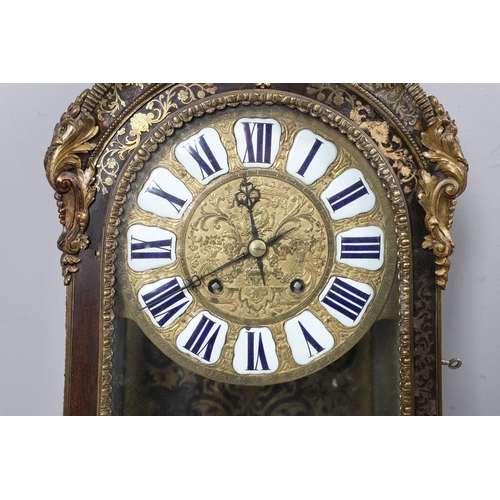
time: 11:40
